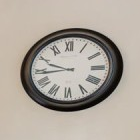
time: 9:44
